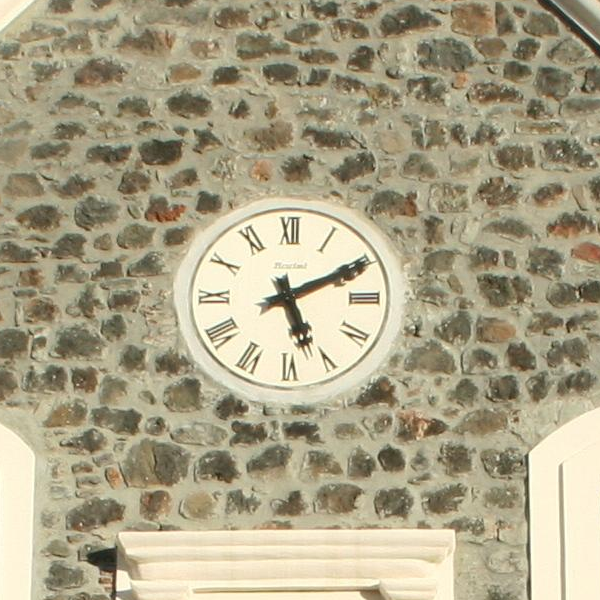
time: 5:10
